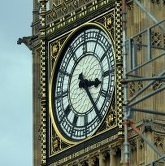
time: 3:23
